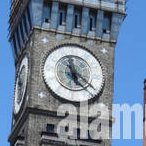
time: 5:21
